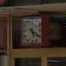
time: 5:20
